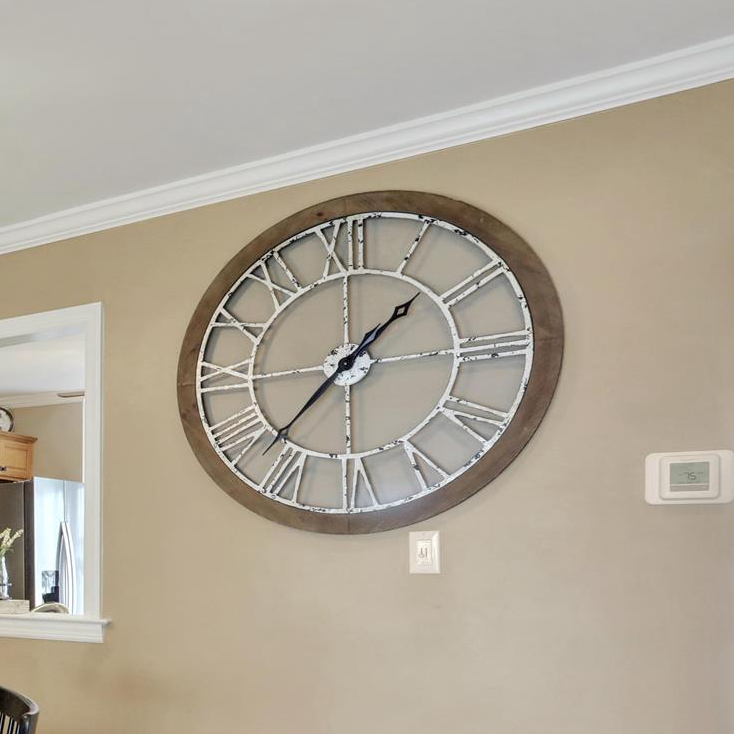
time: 1:37
